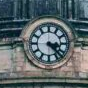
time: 3:22
